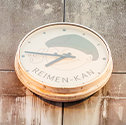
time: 7:46
